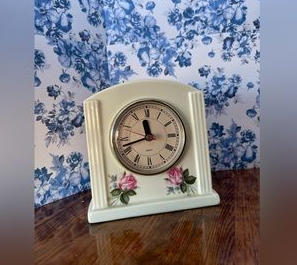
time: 11:42
